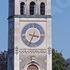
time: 3:32
